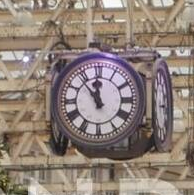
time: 11:53
